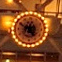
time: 4:49
